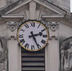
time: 2:25
